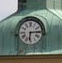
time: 6:14
